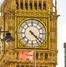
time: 4:22
